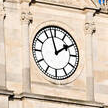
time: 1:57
